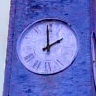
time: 2:00
